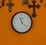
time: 11:22
